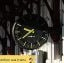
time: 9:39
